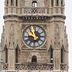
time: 11:46
